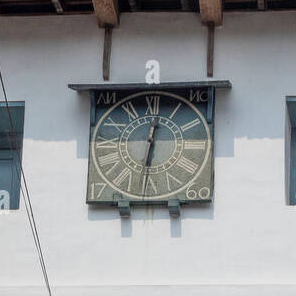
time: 6:01
